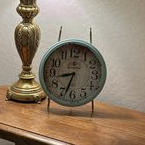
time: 8:33
